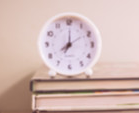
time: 7:00
